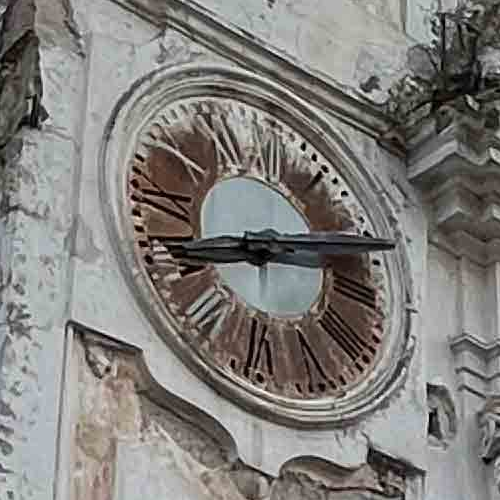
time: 8:11
